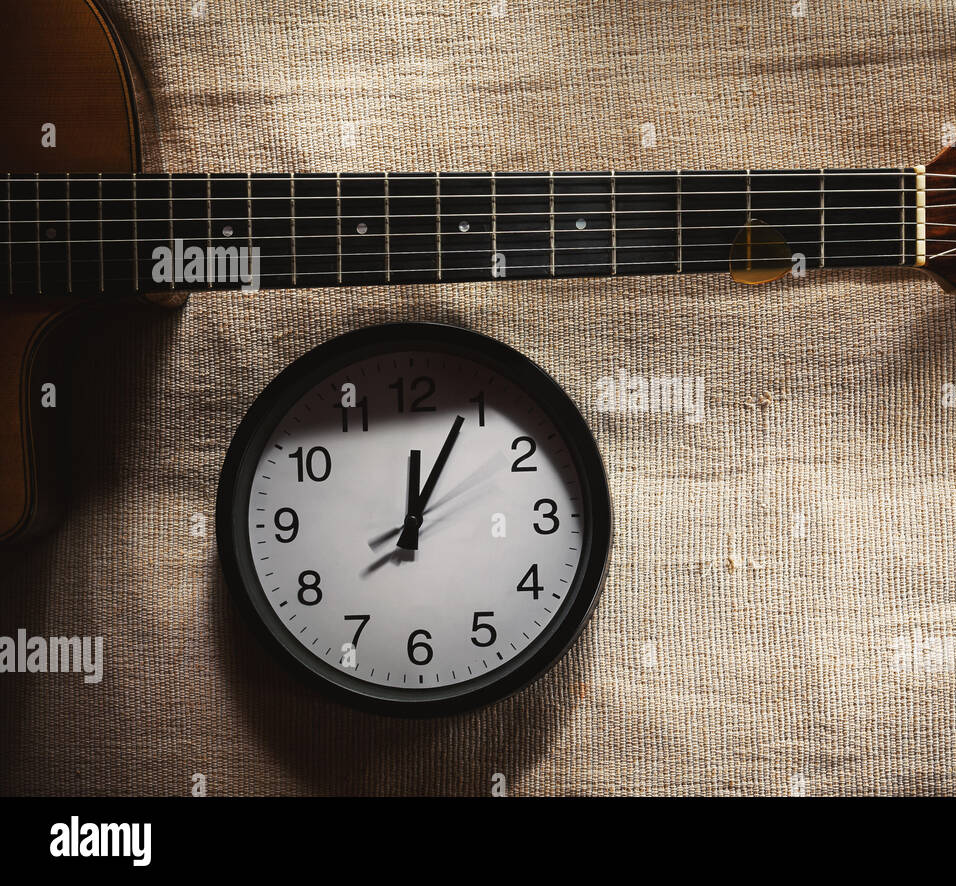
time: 12:04
